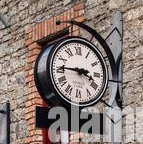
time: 3:45
